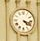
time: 4:17
